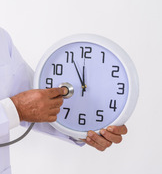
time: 11:55
